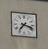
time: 7:17
